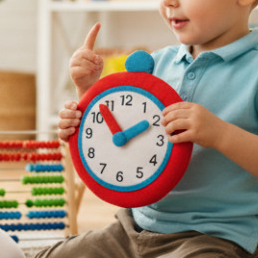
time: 1:53
